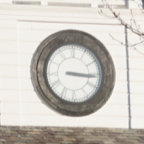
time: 3:15
